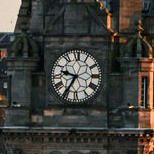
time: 9:35
